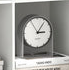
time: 3:06
